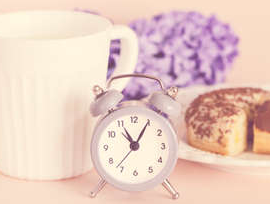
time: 11:05
